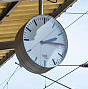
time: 2:15
